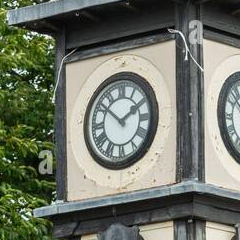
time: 1:51
